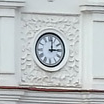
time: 3:01
